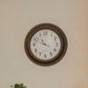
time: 10:48
